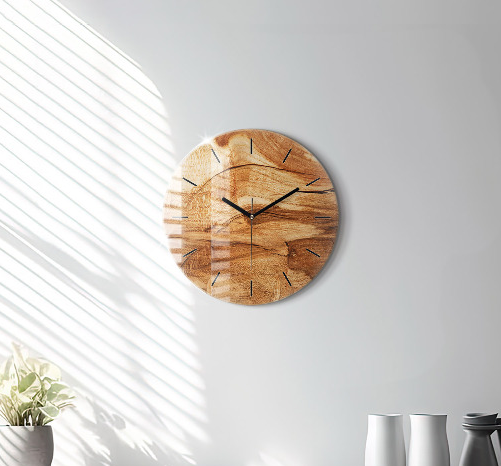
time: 10:09
